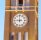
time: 8:59
